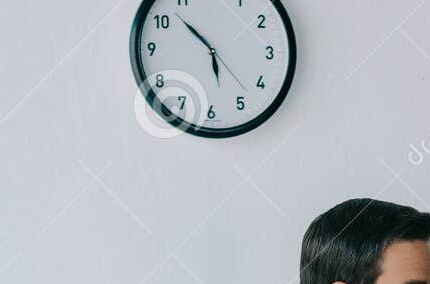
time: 5:51
